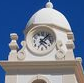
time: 4:07
